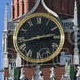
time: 2:42
